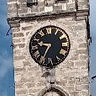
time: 9:34
